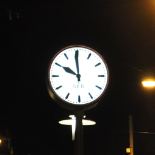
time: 9:59
